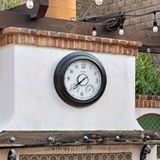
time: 7:37
